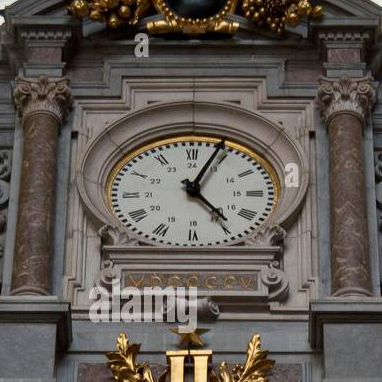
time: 5:03
